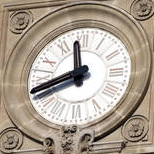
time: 11:41
